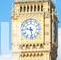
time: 9:28
